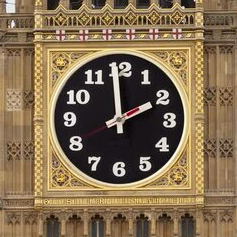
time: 1:59
